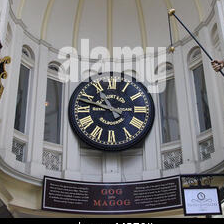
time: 10:47
